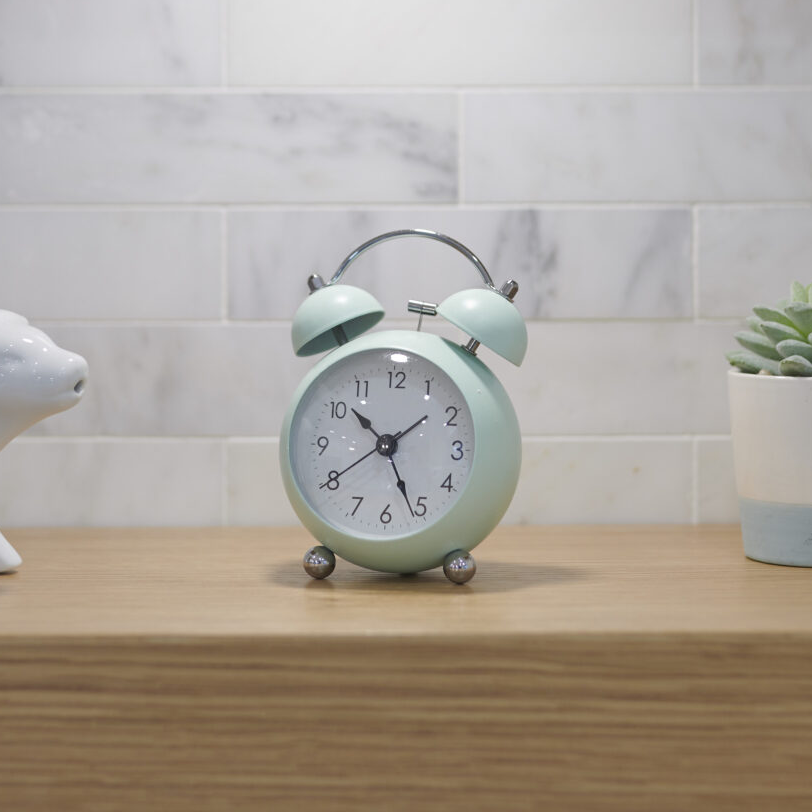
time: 10:25
